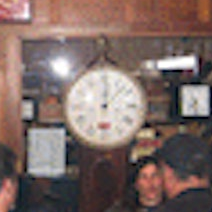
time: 12:07
